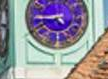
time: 4:44
